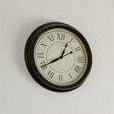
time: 12:40
